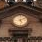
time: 5:09
